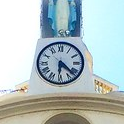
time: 6:21
